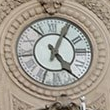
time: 5:04
